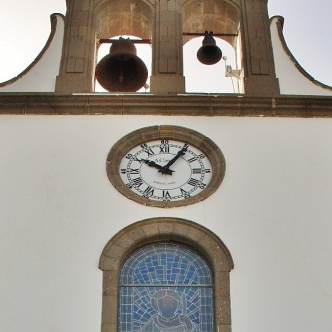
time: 10:05
